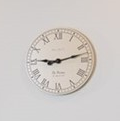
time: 9:12
